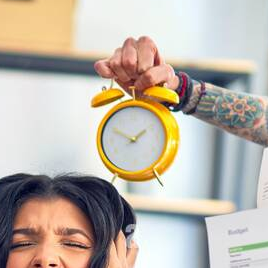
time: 1:50
